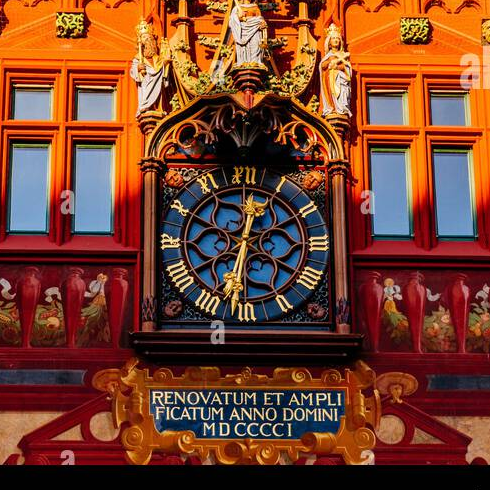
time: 12:32
